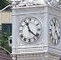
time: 11:21
